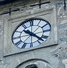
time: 10:22
